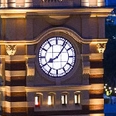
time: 8:06
